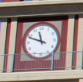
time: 11:48
